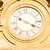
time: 3:48
